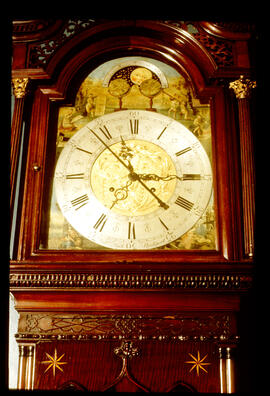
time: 4:14
